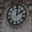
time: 2:01
